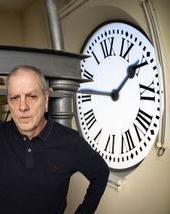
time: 1:46
